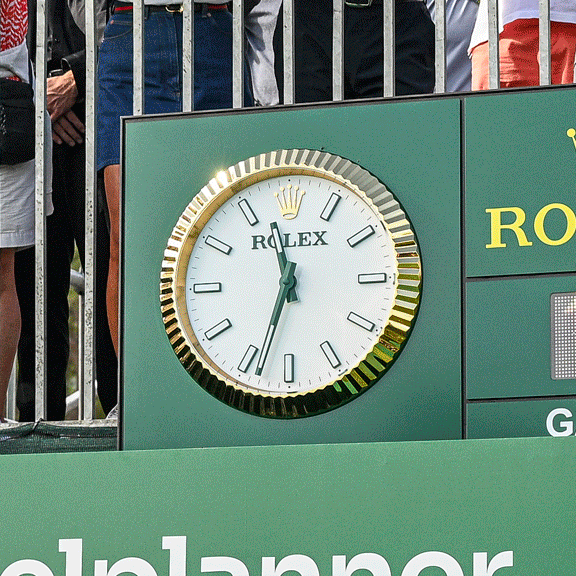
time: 11:33
